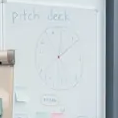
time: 12:09
